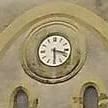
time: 3:29
